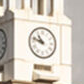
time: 10:48
